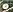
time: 4:37
